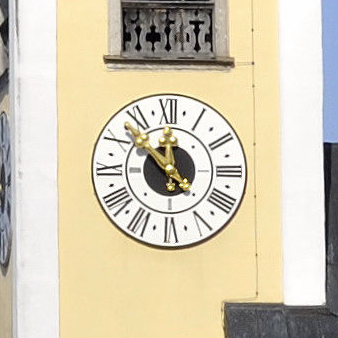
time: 11:52
